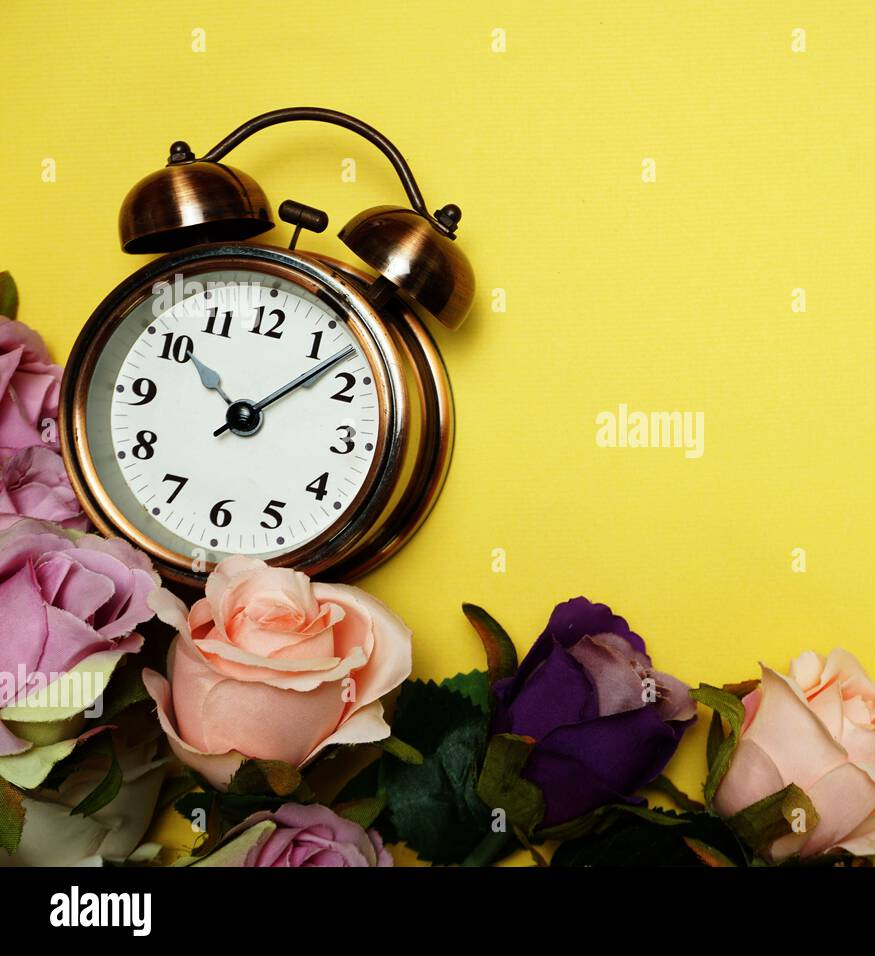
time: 10:07
